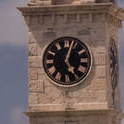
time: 5:03
